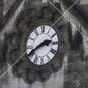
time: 2:40
